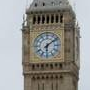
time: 6:08
